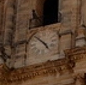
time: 4:52
